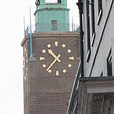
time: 10:36
